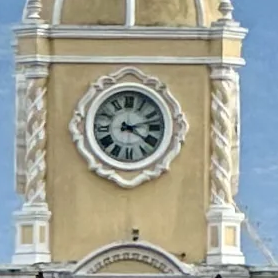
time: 4:12
